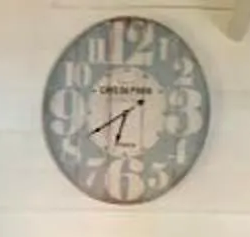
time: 6:40
